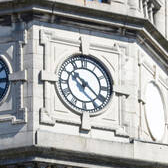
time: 10:21
